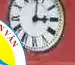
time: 3:01
